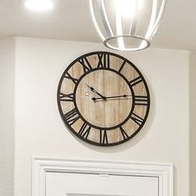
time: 10:13
